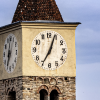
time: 7:03
